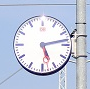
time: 5:13
